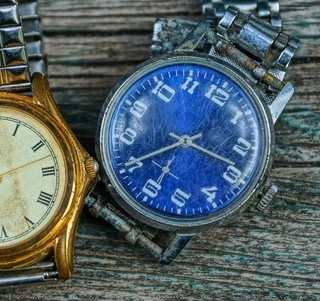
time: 3:40
